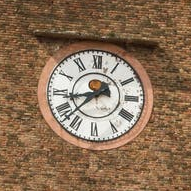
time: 8:37
